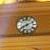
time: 8:11
